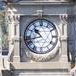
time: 10:42
